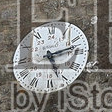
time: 5:12
